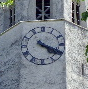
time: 4:19
